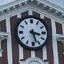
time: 3:27
